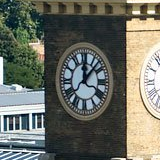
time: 12:07
